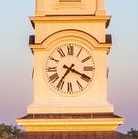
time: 7:18
